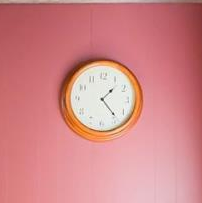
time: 1:23
